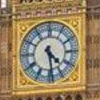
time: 4:28
